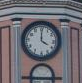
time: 4:00
